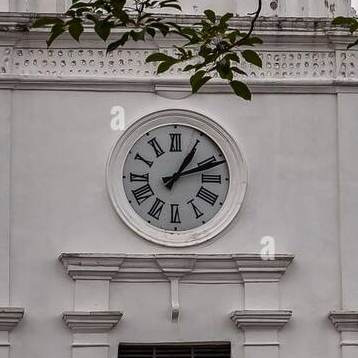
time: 1:11
